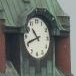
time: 10:41
